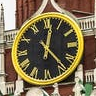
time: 12:23
